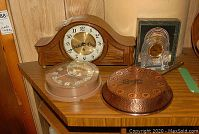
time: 12:41
